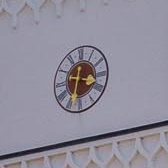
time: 3:33
